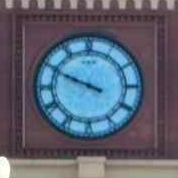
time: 9:49
